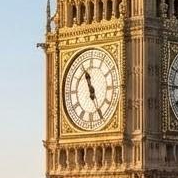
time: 11:25
